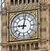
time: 9:01
